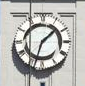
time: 1:33
